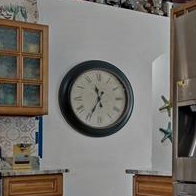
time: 11:34
